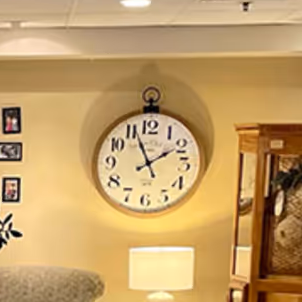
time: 1:56
